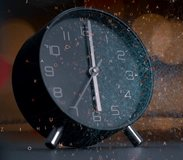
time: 6:00
